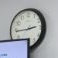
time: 2:44
